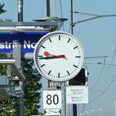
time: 8:46
